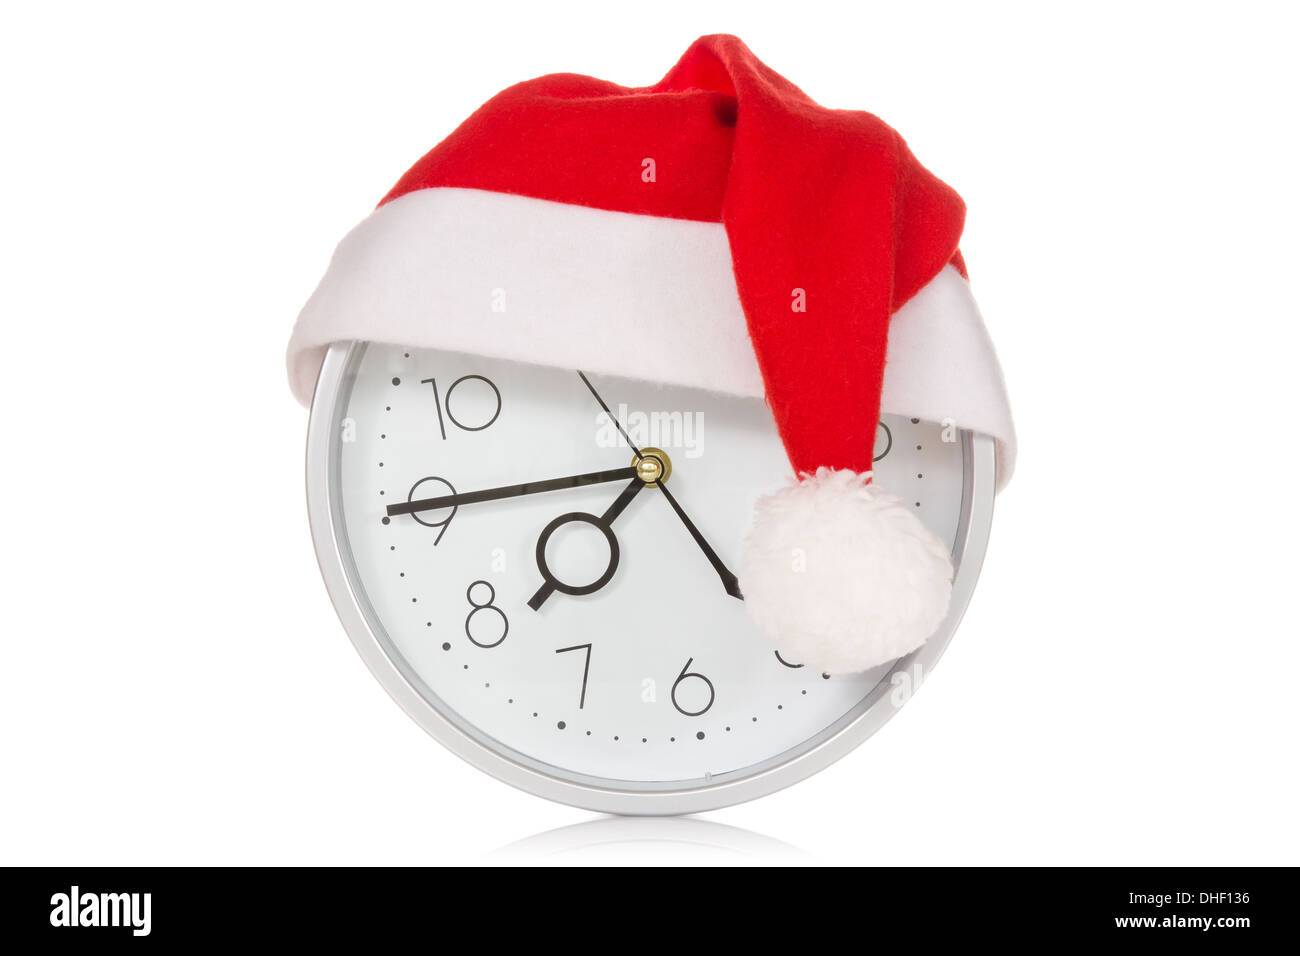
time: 7:45
